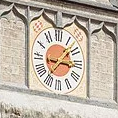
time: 3:08
